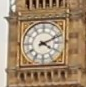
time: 4:11
